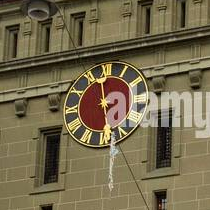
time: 5:58
